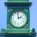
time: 1:59
